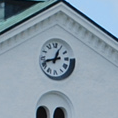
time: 12:42
